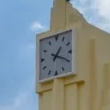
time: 1:19
